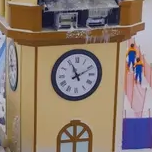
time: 11:11
